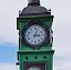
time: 3:04
